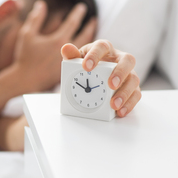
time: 11:48
